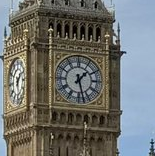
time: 1:27
